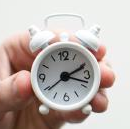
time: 2:18
